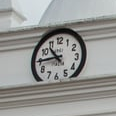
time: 10:44
